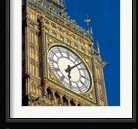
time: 6:07
